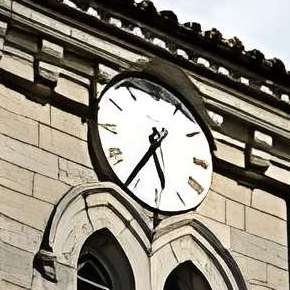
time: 5:35
